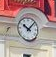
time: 10:07
